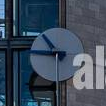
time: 10:45
